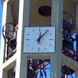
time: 12:06
